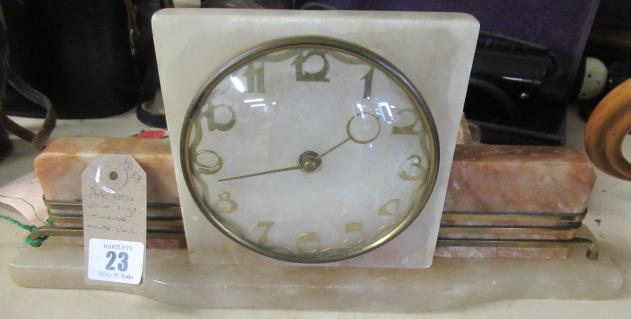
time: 1:42
